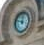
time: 11:46
